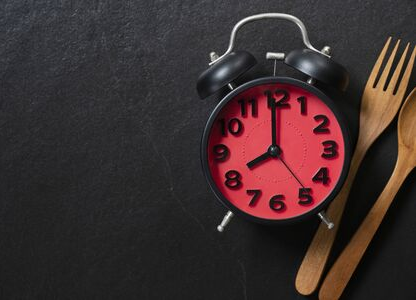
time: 8:00
